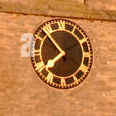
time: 7:52
